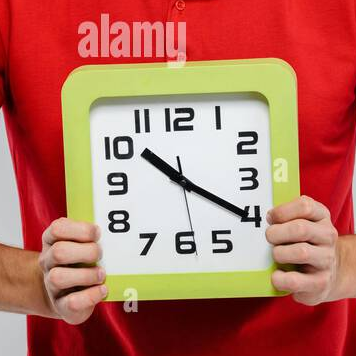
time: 10:20
